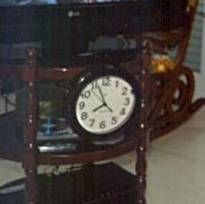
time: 7:56
